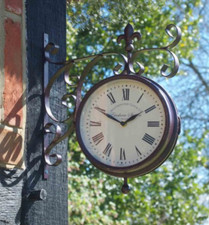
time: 1:49
